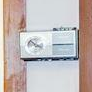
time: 2:44
